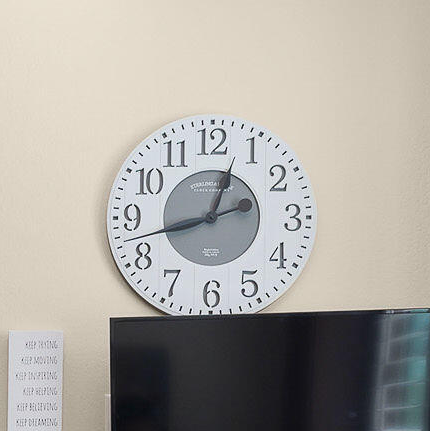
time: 12:42
